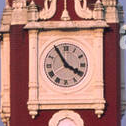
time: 3:54
